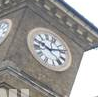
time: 10:13
